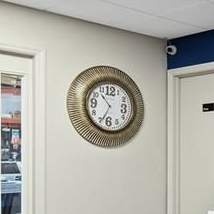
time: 10:34
